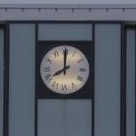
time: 7:59
